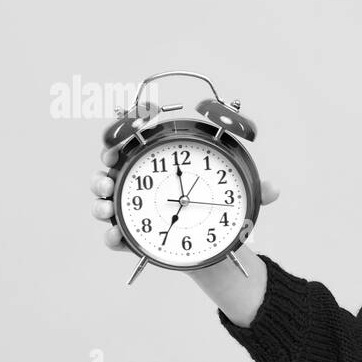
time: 6:59
